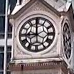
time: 8:59
